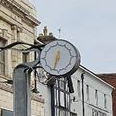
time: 12:32
